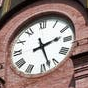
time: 2:27
